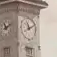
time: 11:10
